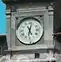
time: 11:02
